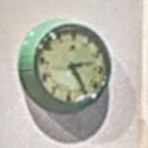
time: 2:24
